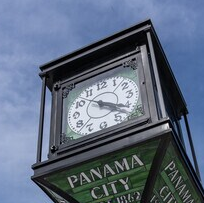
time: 4:20
